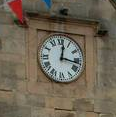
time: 12:16
